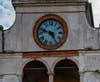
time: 4:48
